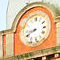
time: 8:40
